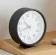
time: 10:42
